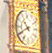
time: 10:40
